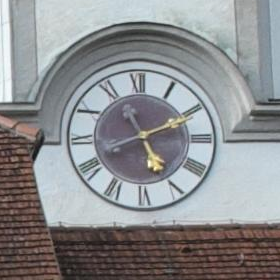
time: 5:10
